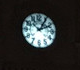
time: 1:10
